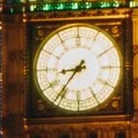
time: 8:36
